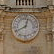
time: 12:40
